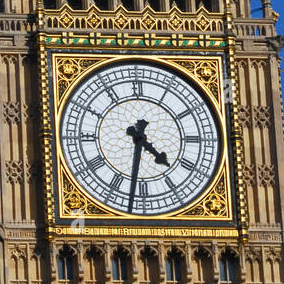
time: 4:31
